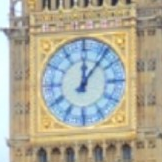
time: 12:06
